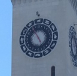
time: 4:54
